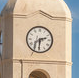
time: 2:30
